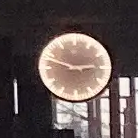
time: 2:48
